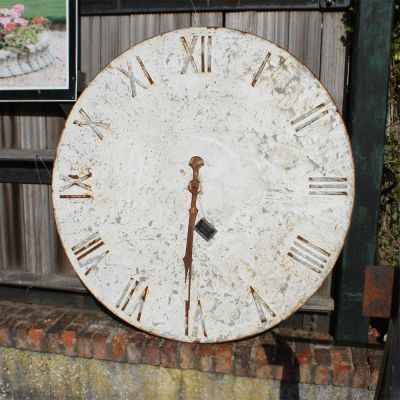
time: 5:30
